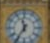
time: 11:35
